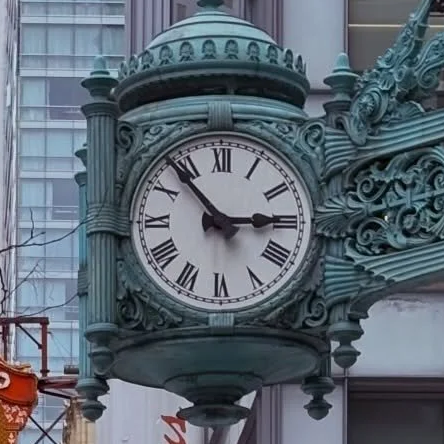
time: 2:53
